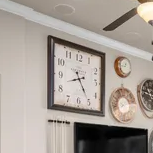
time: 8:24
